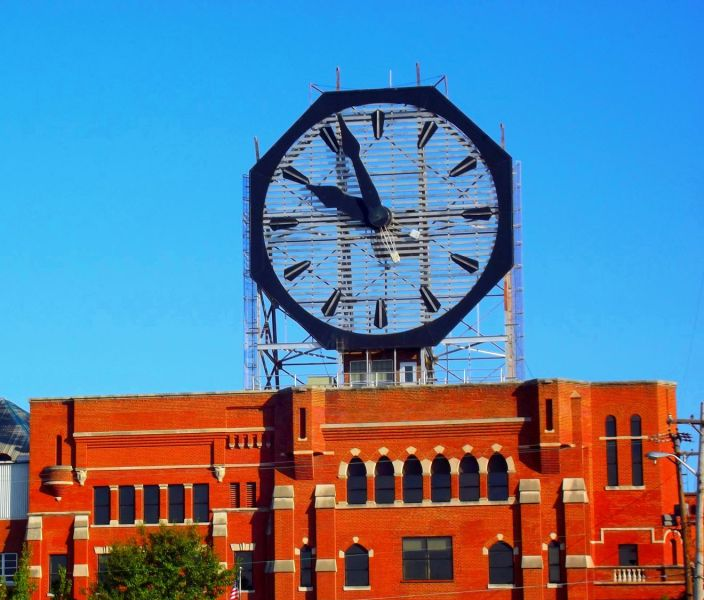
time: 9:56
